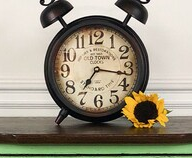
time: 7:16
